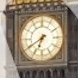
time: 6:39
